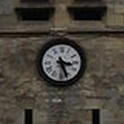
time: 3:26
